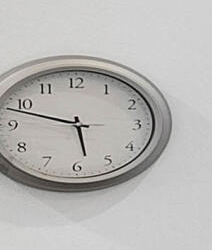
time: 5:47
